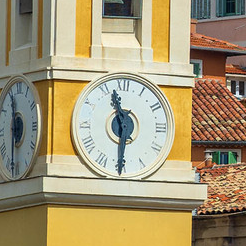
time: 11:30
